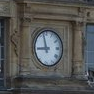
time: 8:57
